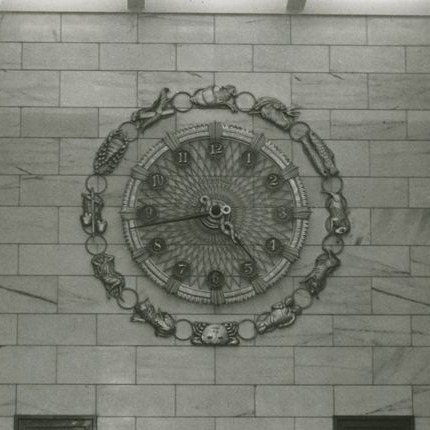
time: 4:43
